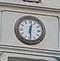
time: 12:29
